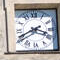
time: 3:40
